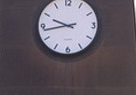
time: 9:43
